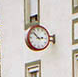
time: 2:52
